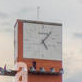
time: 5:06
